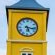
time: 5:16
